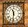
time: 11:31
